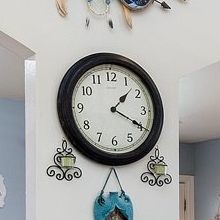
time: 1:19
